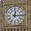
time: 12:14
